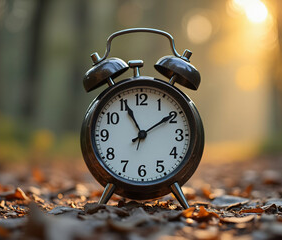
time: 1:55
